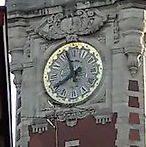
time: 7:57
